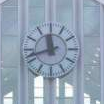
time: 11:42
